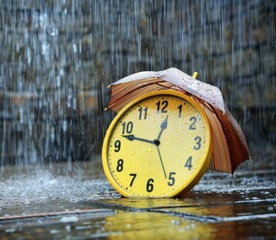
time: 12:47
